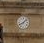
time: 8:07
